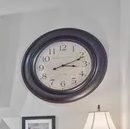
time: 3:11
